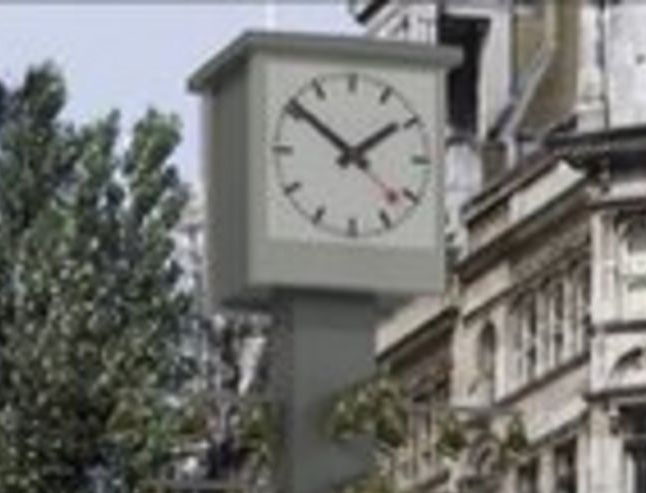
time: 1:51
